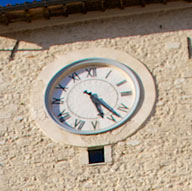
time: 5:23
